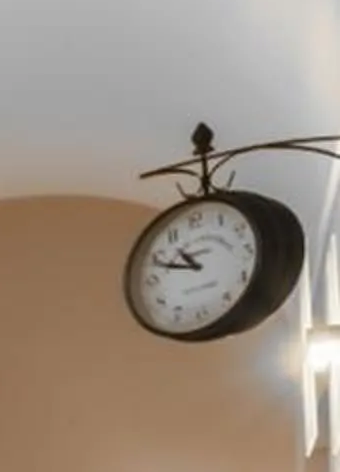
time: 10:48
